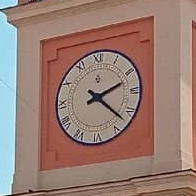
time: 2:22
